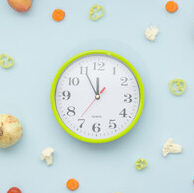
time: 11:55
